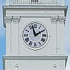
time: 1:57
